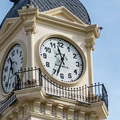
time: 11:33
